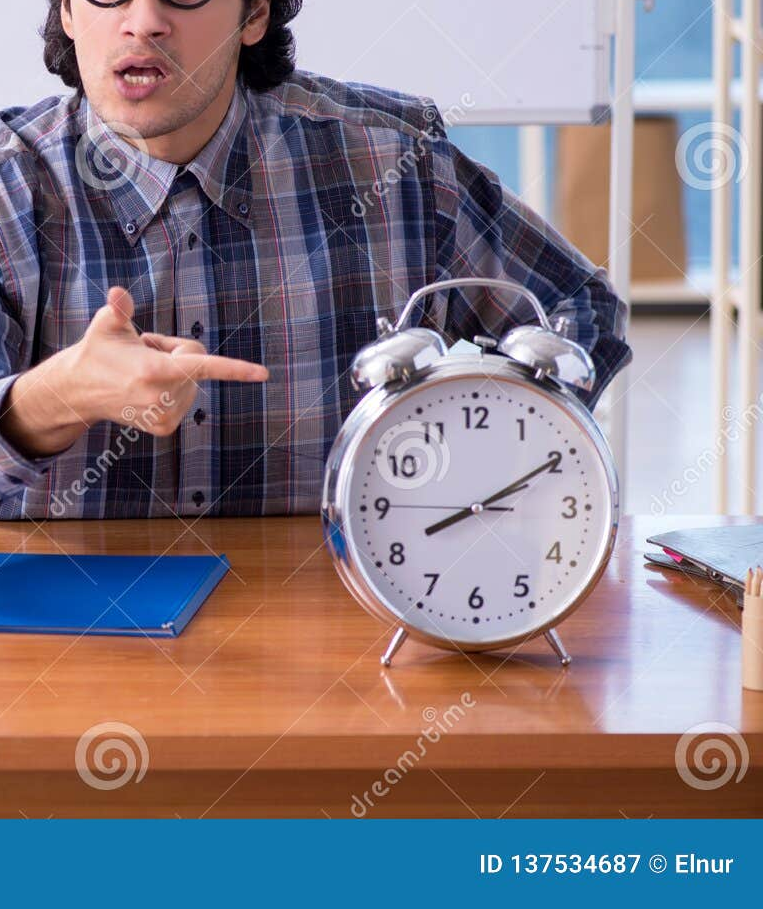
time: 8:10
